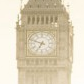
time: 6:48
